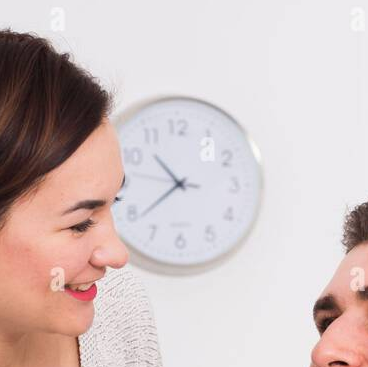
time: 10:38
